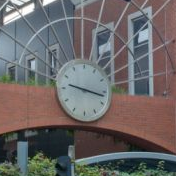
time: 9:16
